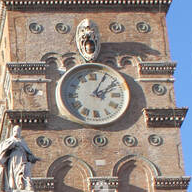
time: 2:04
